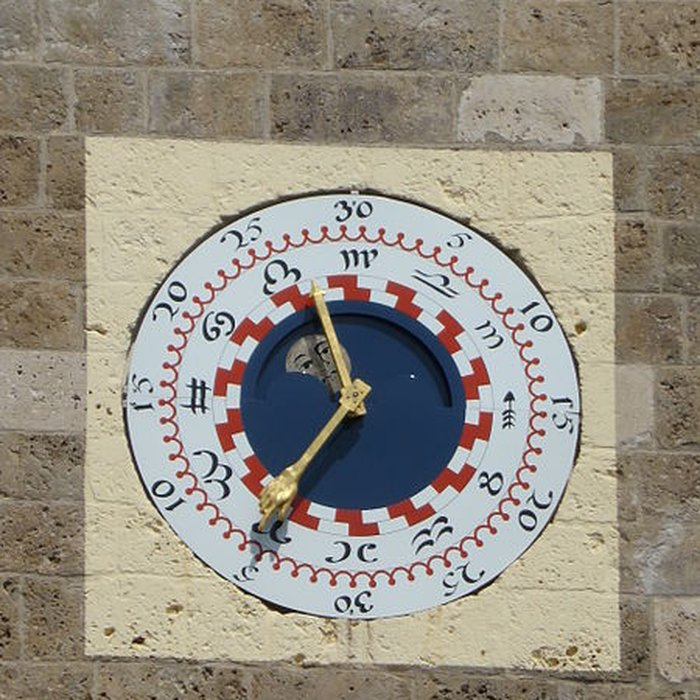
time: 11:35
